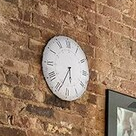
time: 5:34
